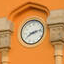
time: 8:12
